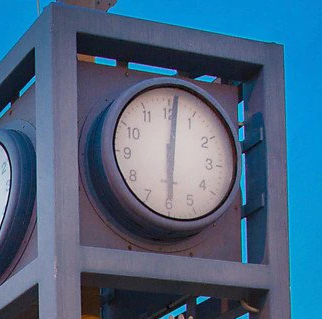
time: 6:01
